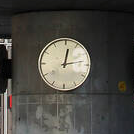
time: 12:13
